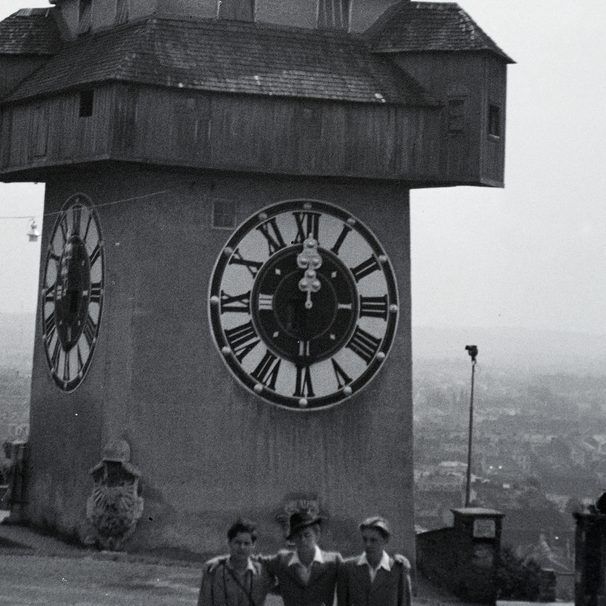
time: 12:04
